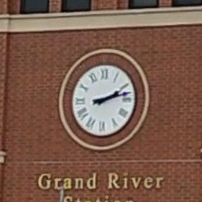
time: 2:12
